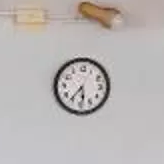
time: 5:36
